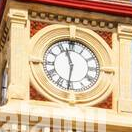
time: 11:31
